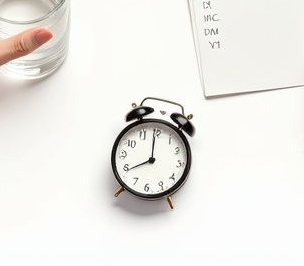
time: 7:59
